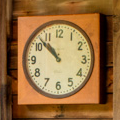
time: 10:52
